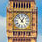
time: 12:53
